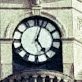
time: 5:03
